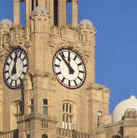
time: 11:52
